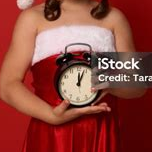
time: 12:03
